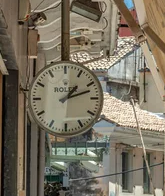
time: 1:12
